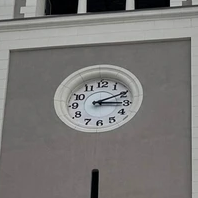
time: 3:10
